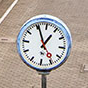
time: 12:55
